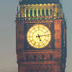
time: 5:13
